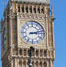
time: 3:12
